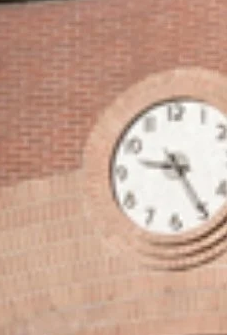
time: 9:25
